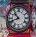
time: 10:41
